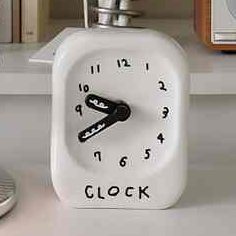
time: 9:40
